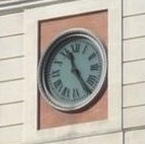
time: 11:24
